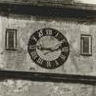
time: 9:12
